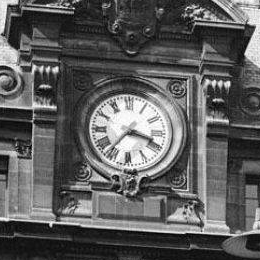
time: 3:36
